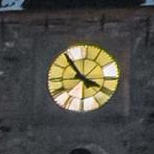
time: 3:53
